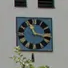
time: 11:17
